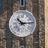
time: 10:13
